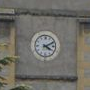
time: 4:10
